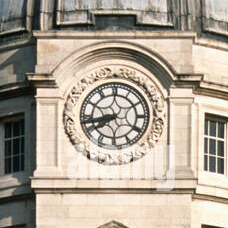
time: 7:42
